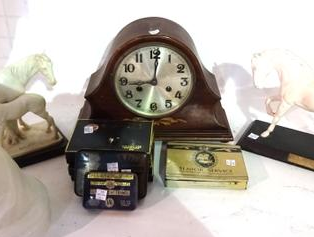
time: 9:01
